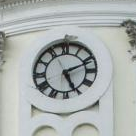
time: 5:11
